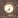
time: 8:02
